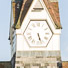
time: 5:26
